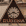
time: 3:40
